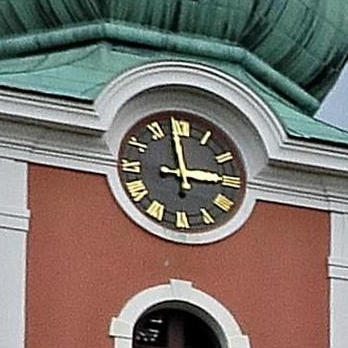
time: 2:58
